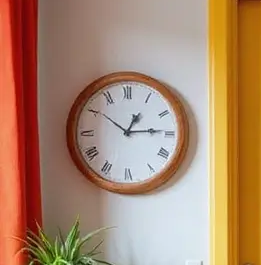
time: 1:14
